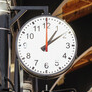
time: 1:09
